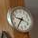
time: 9:36
